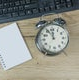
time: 11:55
